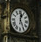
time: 12:24
